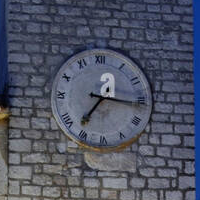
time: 7:16
